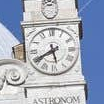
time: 5:40
